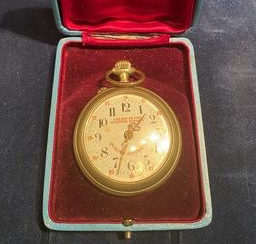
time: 1:33
